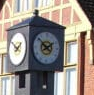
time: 1:51
